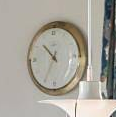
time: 10:34
